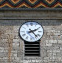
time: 2:23
